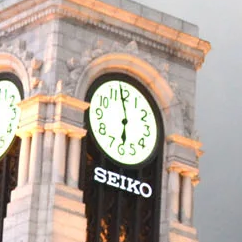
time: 5:58
